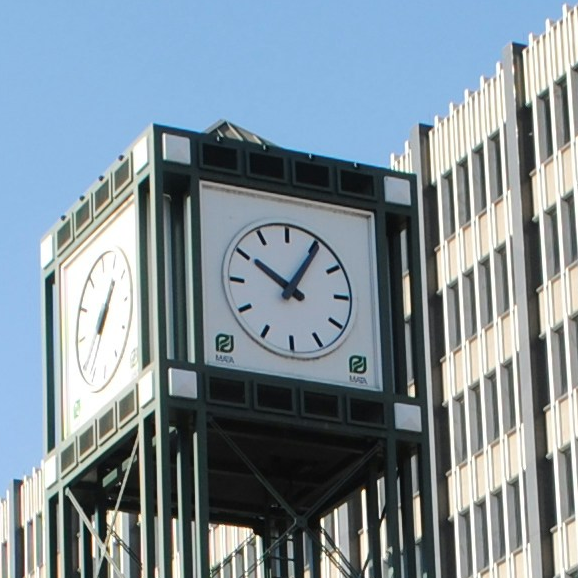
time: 10:05
